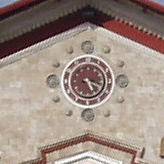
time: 5:18
